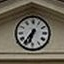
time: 6:36
